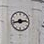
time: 2:42
